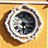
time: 6:14
